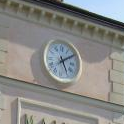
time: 5:09
